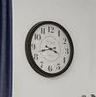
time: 3:42
